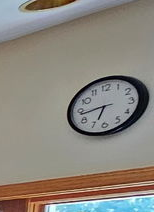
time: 6:43
